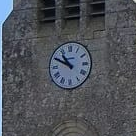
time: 10:49
